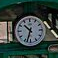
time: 10:33
